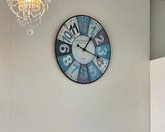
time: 1:18
